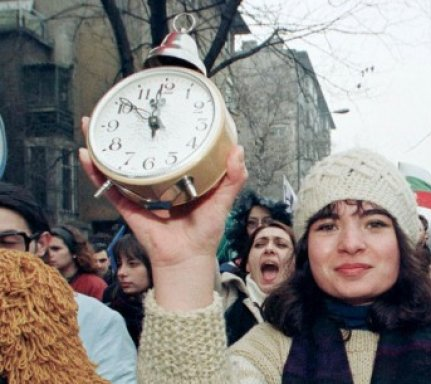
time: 11:51
